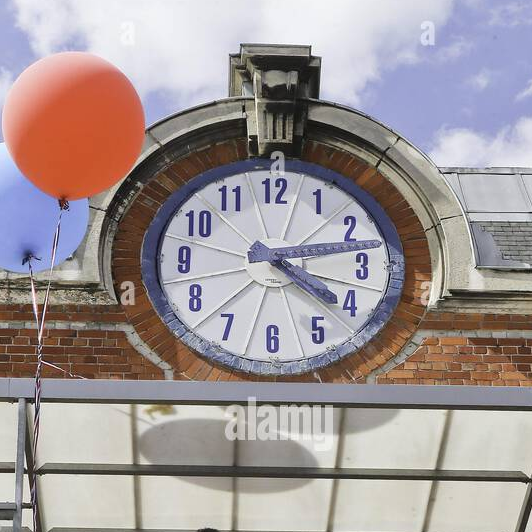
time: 4:12
